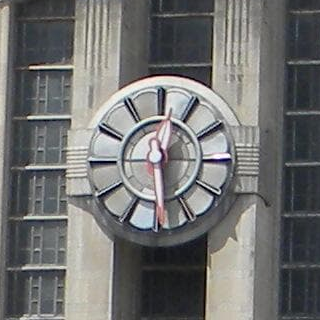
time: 12:28
